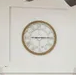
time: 9:14
